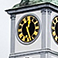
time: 12:26
